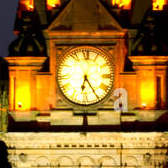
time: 6:25
